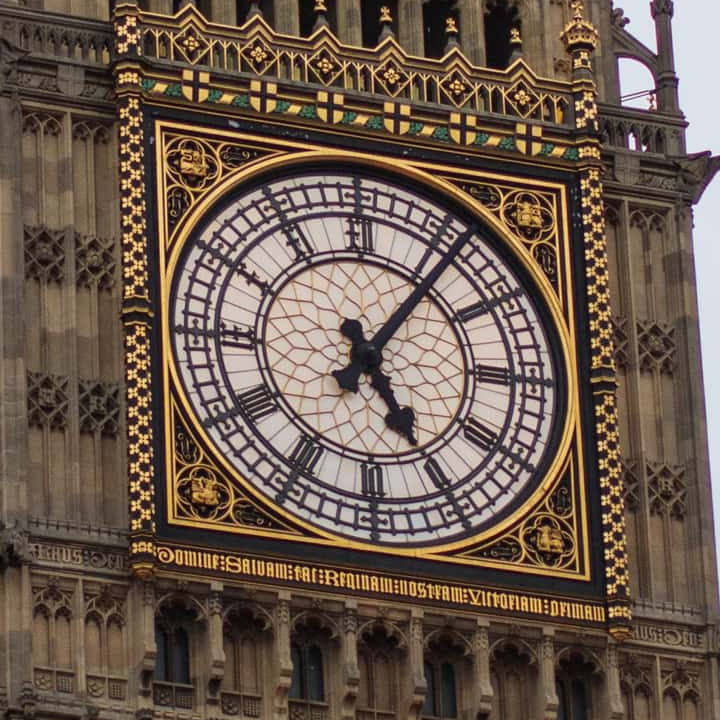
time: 5:06
